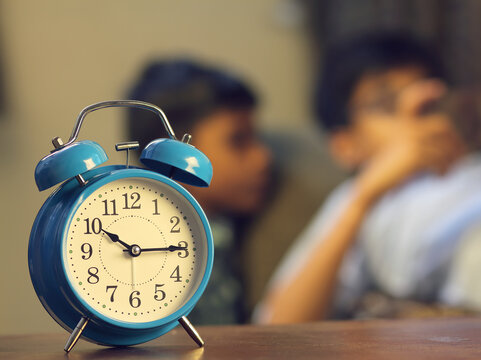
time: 10:14
